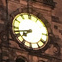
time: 7:42
